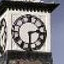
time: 2:29
